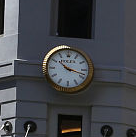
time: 10:17
